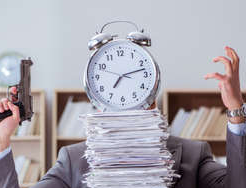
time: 7:12
